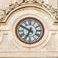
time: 6:49
